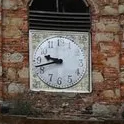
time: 9:42
